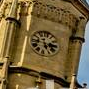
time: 5:15
